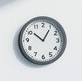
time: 10:05
